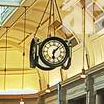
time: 6:07
